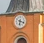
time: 6:18
